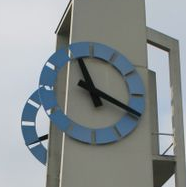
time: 11:19
